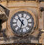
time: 10:32
